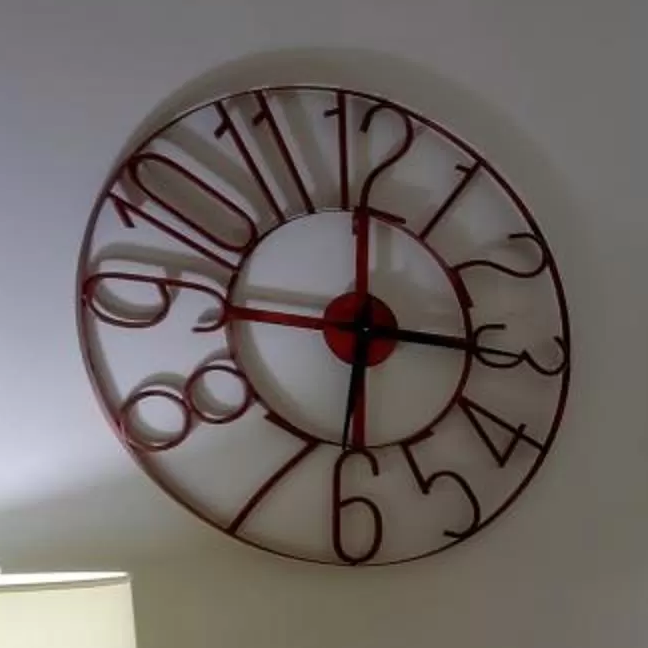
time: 6:15
